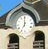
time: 7:00
